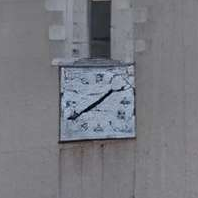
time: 1:39
